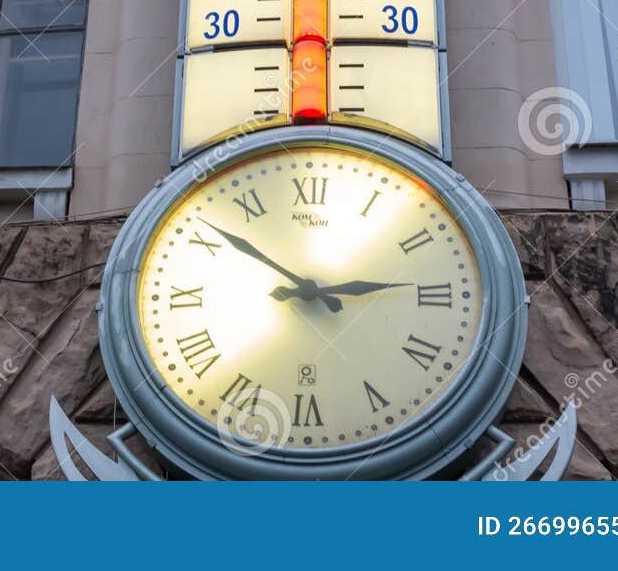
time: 2:51
